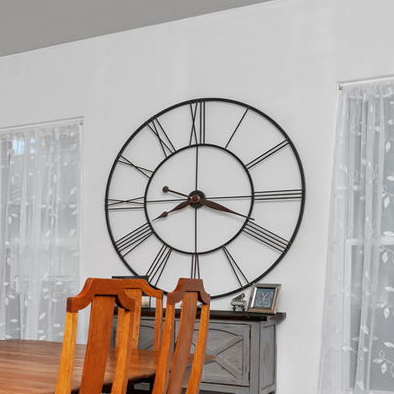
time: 8:18
